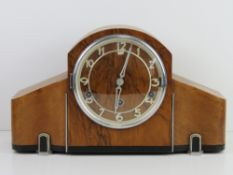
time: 6:02
